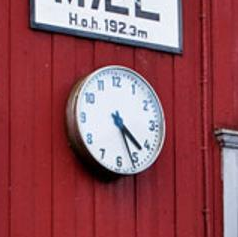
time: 4:26
